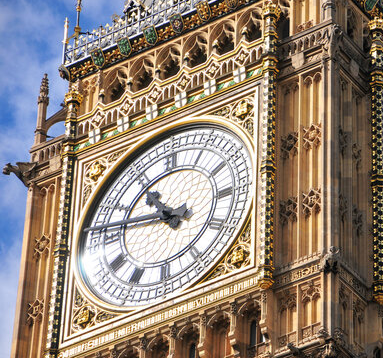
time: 10:46
